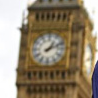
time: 1:11
